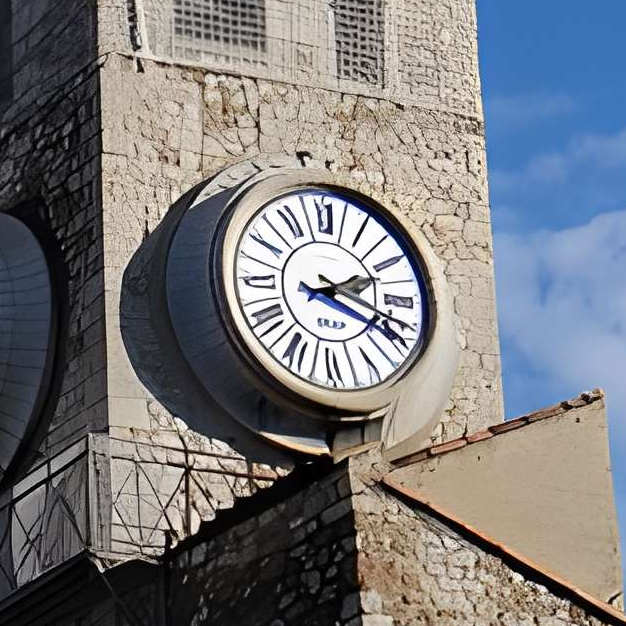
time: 2:18
